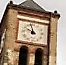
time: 9:57
